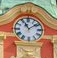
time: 11:08
